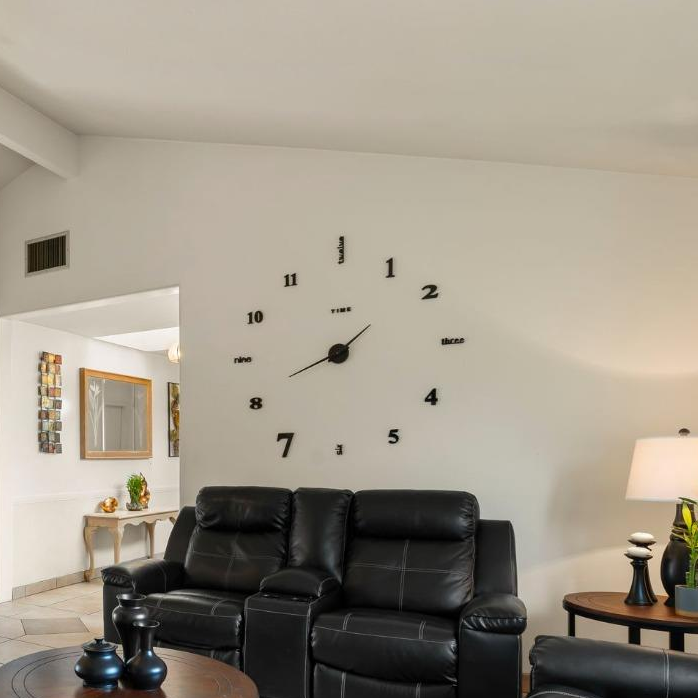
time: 1:40
